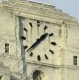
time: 1:37
